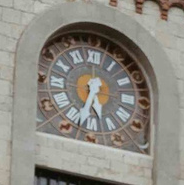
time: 5:32
